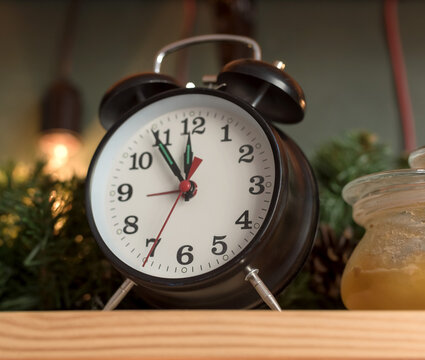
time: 11:54
